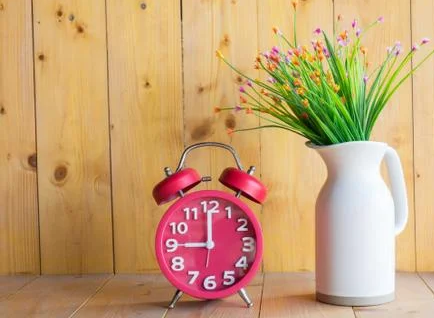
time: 9:00
